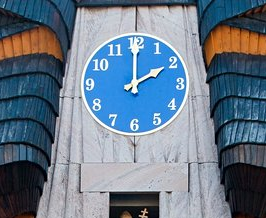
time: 2:00
